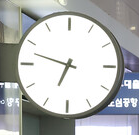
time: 6:47
